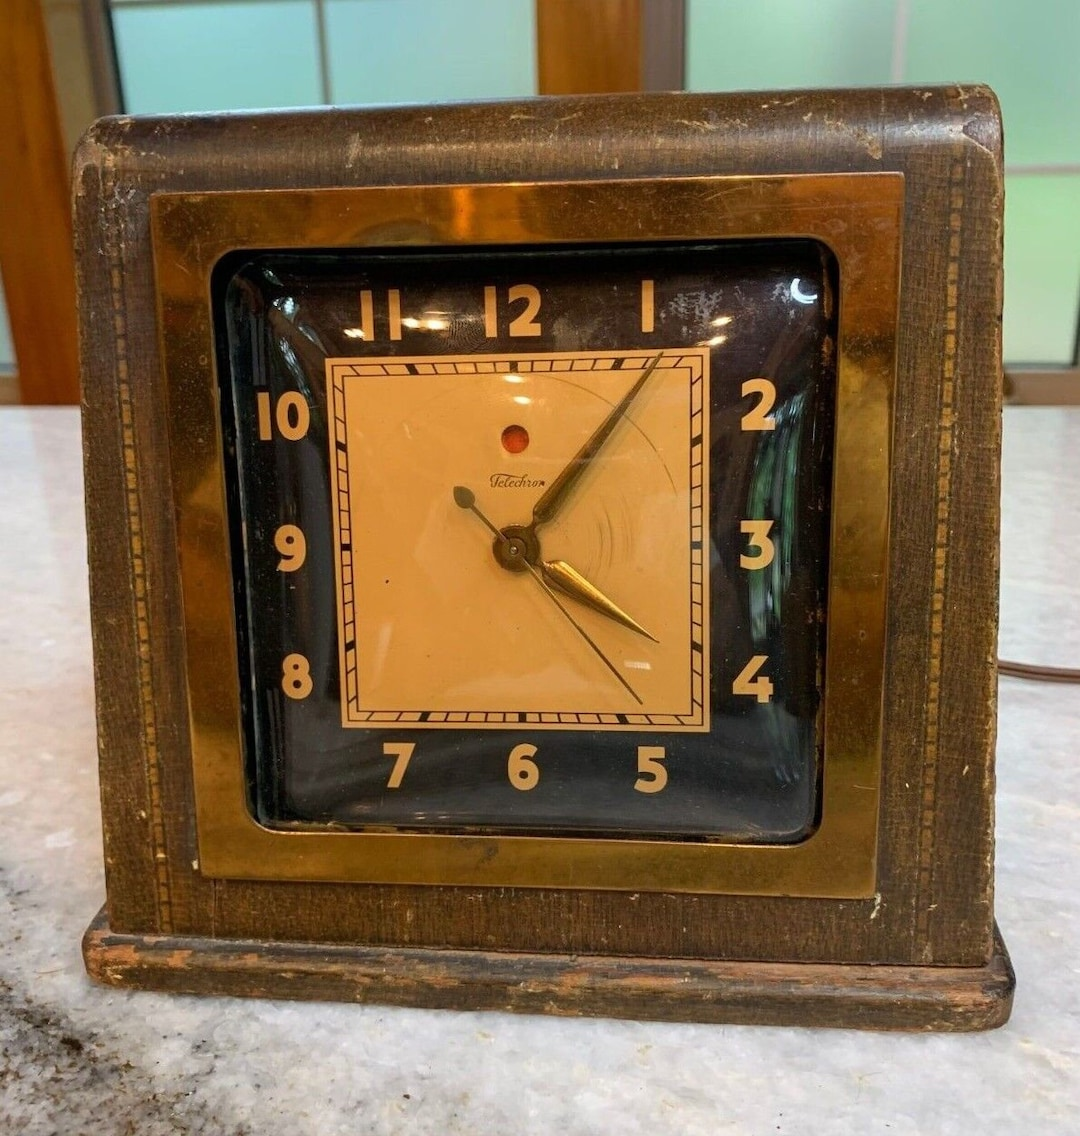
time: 4:06
